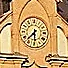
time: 7:30
